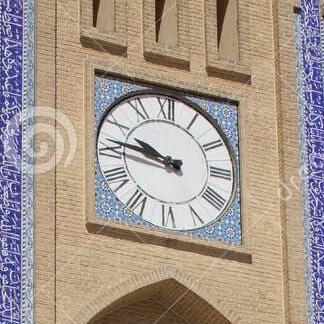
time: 9:46
